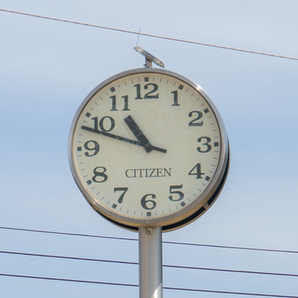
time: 10:48
